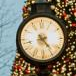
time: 4:42
